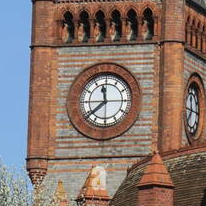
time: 11:38
